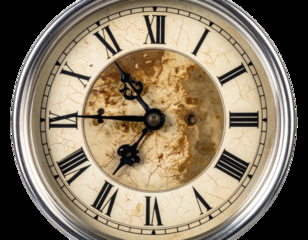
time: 10:45
